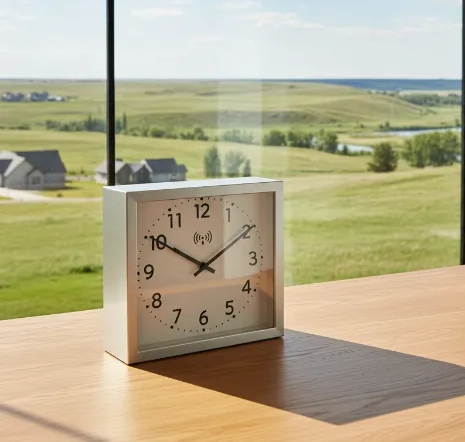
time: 10:09
